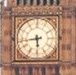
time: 5:43
